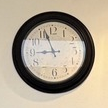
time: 8:56
